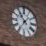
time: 10:36
